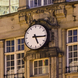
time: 5:15
